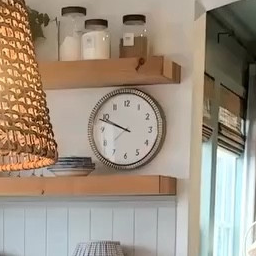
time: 9:48
